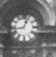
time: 12:43
